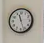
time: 11:26
